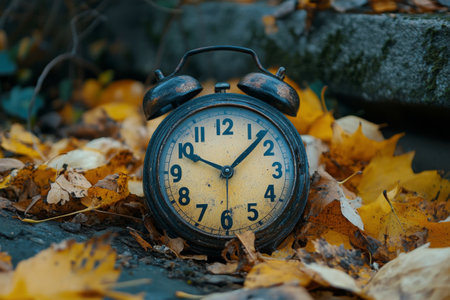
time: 10:07
